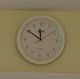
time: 11:50
